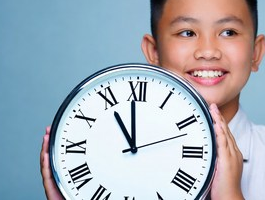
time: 10:59
